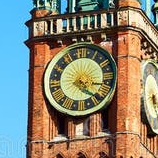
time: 4:16
